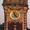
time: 4:57
